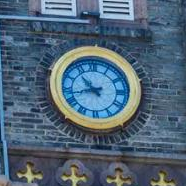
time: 10:42
